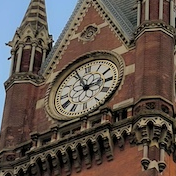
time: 2:56
